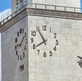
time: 7:54
